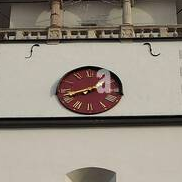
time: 1:42
